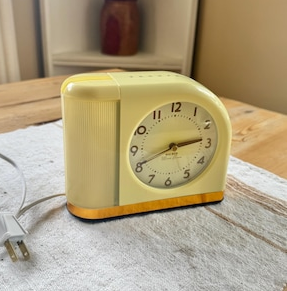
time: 2:41
